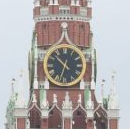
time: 10:32
